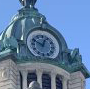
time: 12:48
